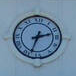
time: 2:33
